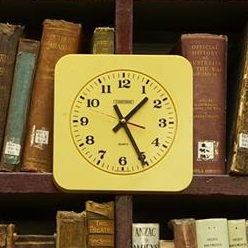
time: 1:25
